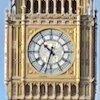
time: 10:32
